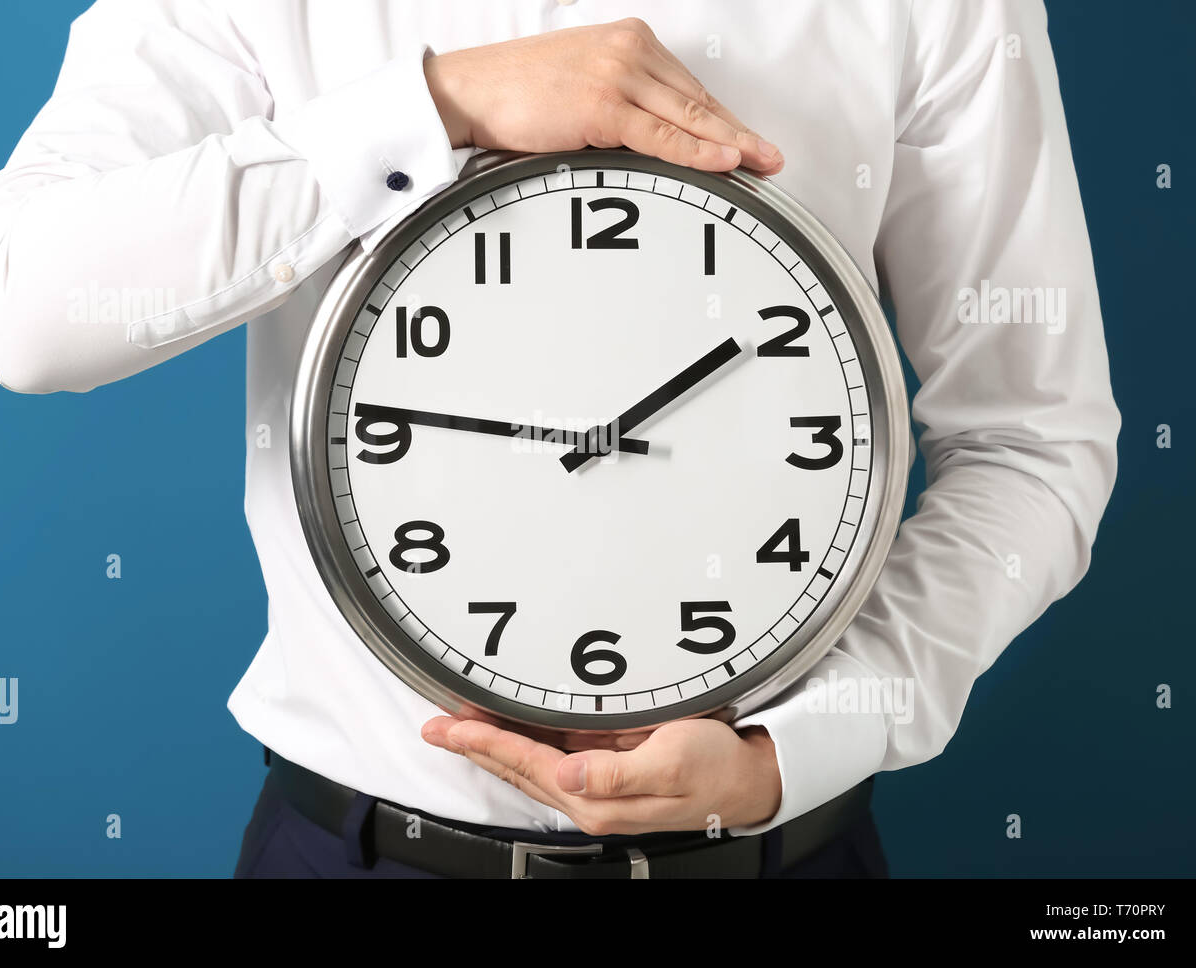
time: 1:46
